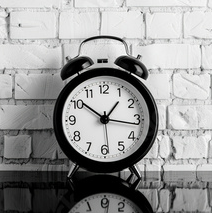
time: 10:16
